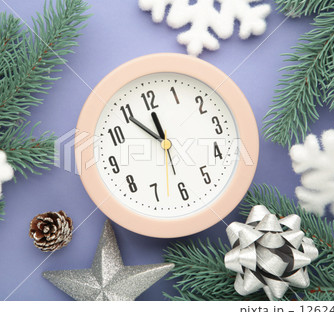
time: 11:54
